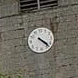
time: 4:22
